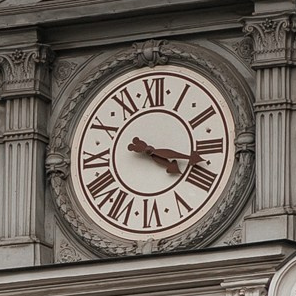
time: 4:17
